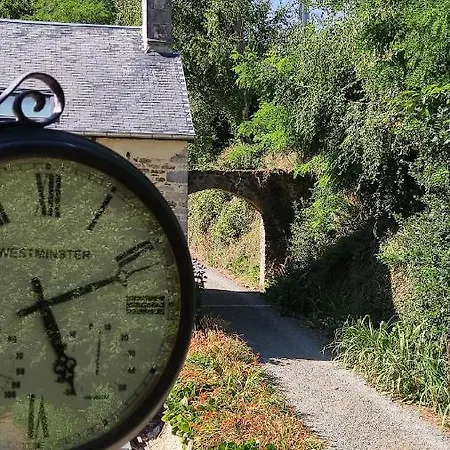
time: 5:11
